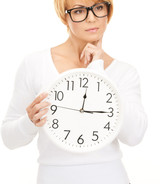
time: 12:14
